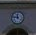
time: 11:46
